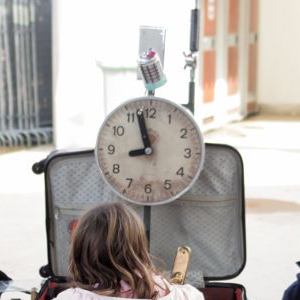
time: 8:57
